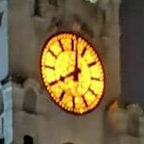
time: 8:01
